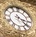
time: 3:22
